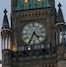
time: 4:34
